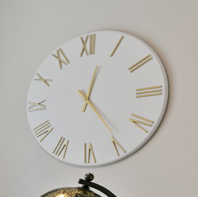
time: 12:24
